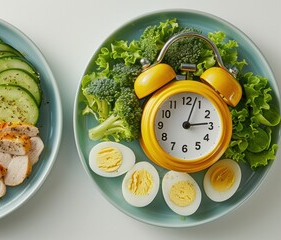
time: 3:03
